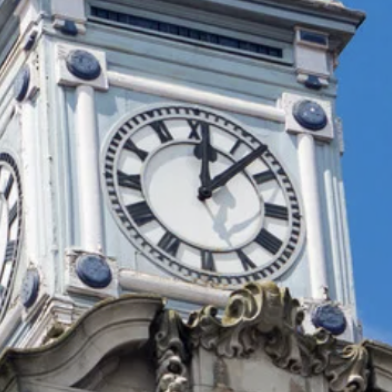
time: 12:07
